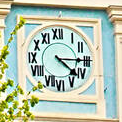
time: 4:14
